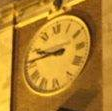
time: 9:45
